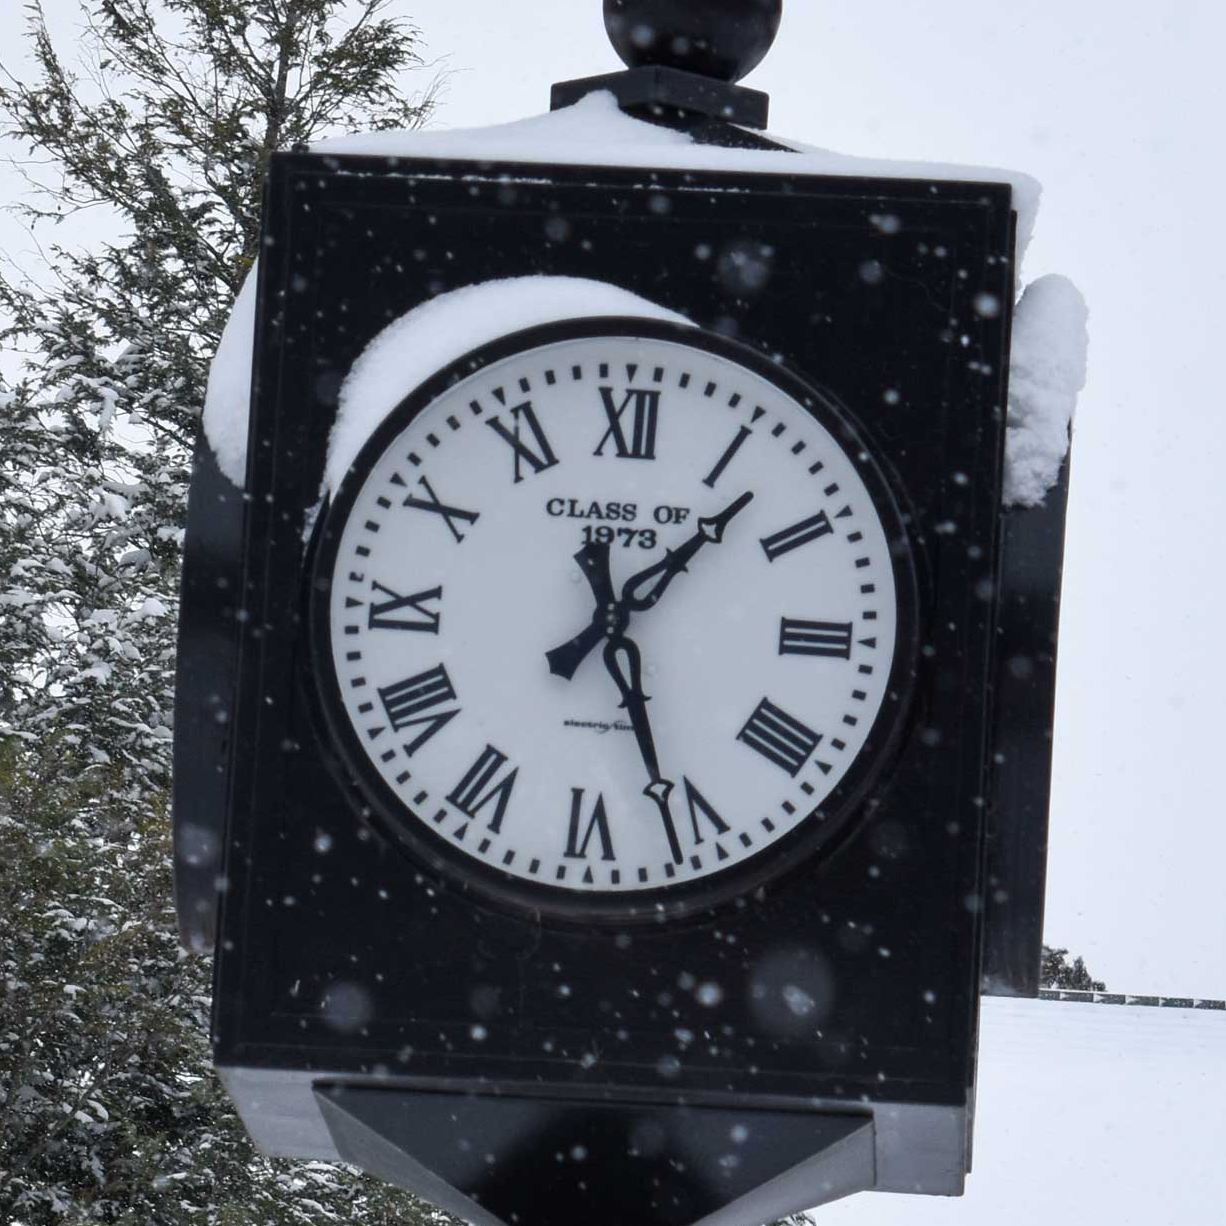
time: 1:26
